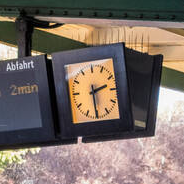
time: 2:30
